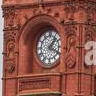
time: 1:18
